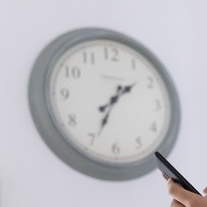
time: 1:34
